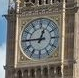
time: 12:45
